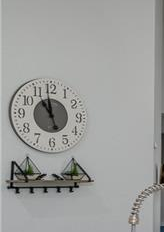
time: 10:58
